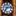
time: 7:13
